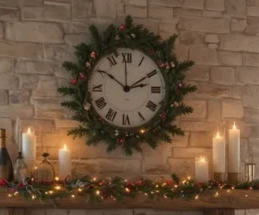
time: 1:50
